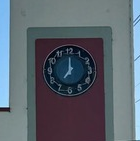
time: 7:00
